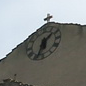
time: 1:33
